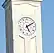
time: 5:09
